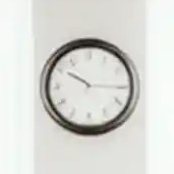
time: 10:15
